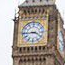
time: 3:43
